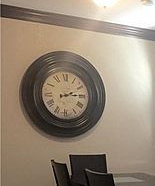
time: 2:14
